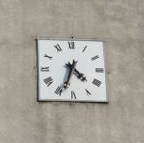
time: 4:33
